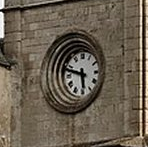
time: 5:47
